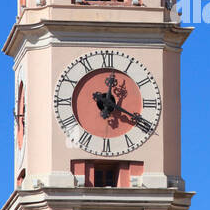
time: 12:19
